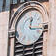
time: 12:16
